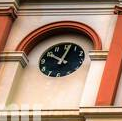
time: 10:02
